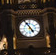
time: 4:54
